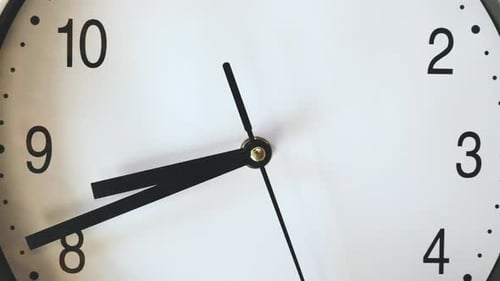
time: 8:41
